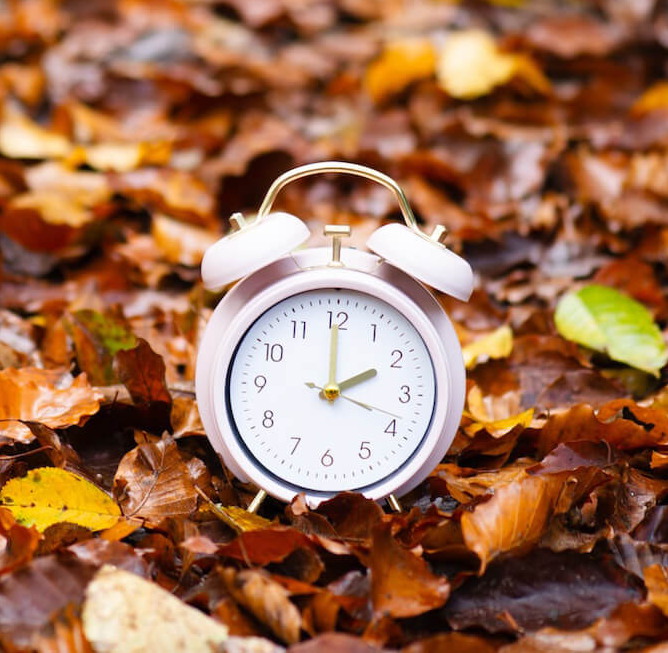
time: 2:00
